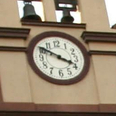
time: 3:50
